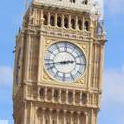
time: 2:42
